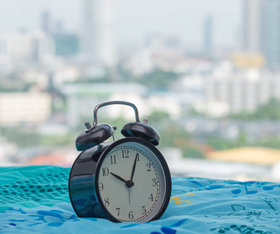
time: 10:04
